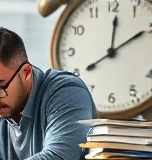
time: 12:09
